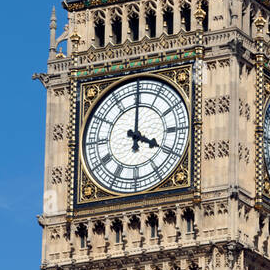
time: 4:00
